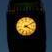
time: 4:10
